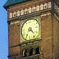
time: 4:35
